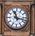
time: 11:17
